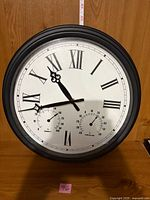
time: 10:42
